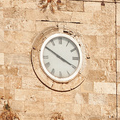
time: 3:50
